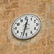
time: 12:32
